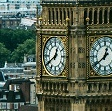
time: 12:40
